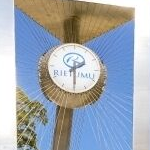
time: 2:29
